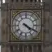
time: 4:19
